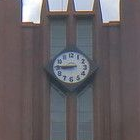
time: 8:45
